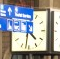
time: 4:31
